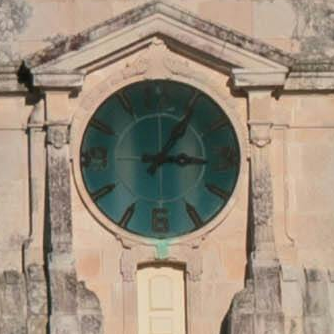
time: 3:05
